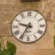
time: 9:35
